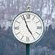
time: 4:56
